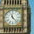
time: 11:22
